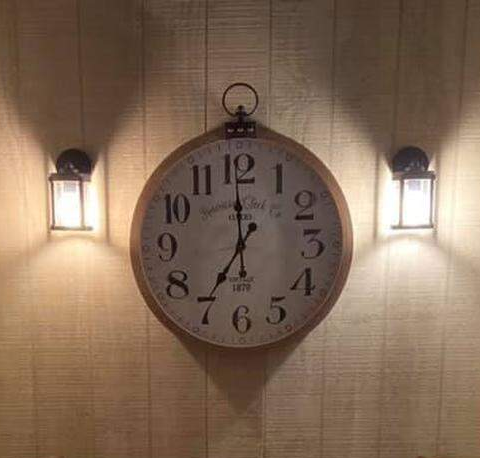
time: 6:59
